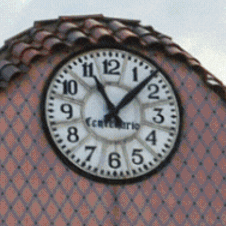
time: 11:07
